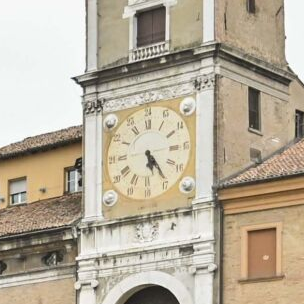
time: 5:24
